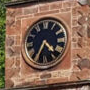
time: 4:34
